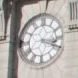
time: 3:18
